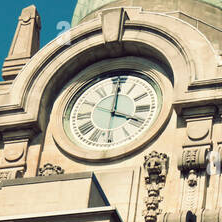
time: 4:00
